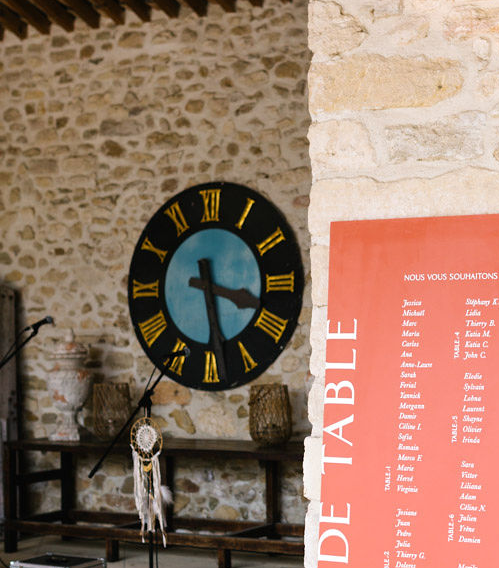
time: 3:28
